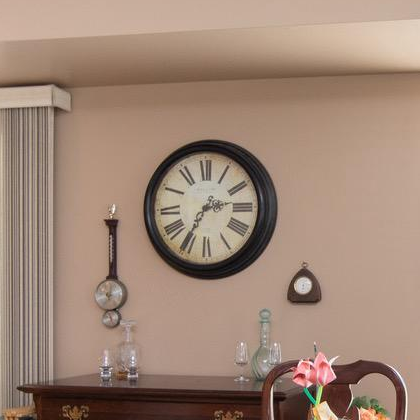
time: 2:35
